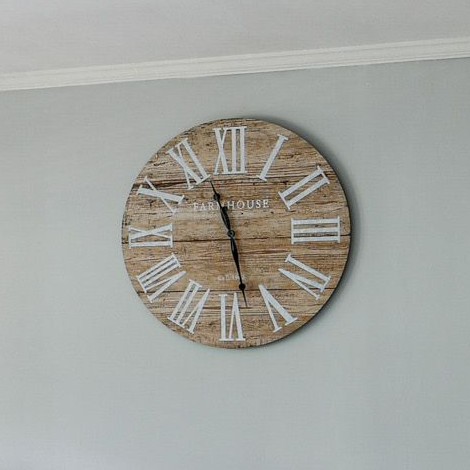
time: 11:28
